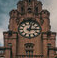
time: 3:02
